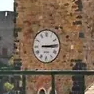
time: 3:14
